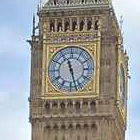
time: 11:27
